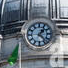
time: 1:22
